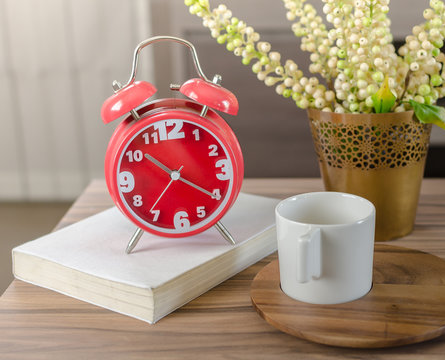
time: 10:20
